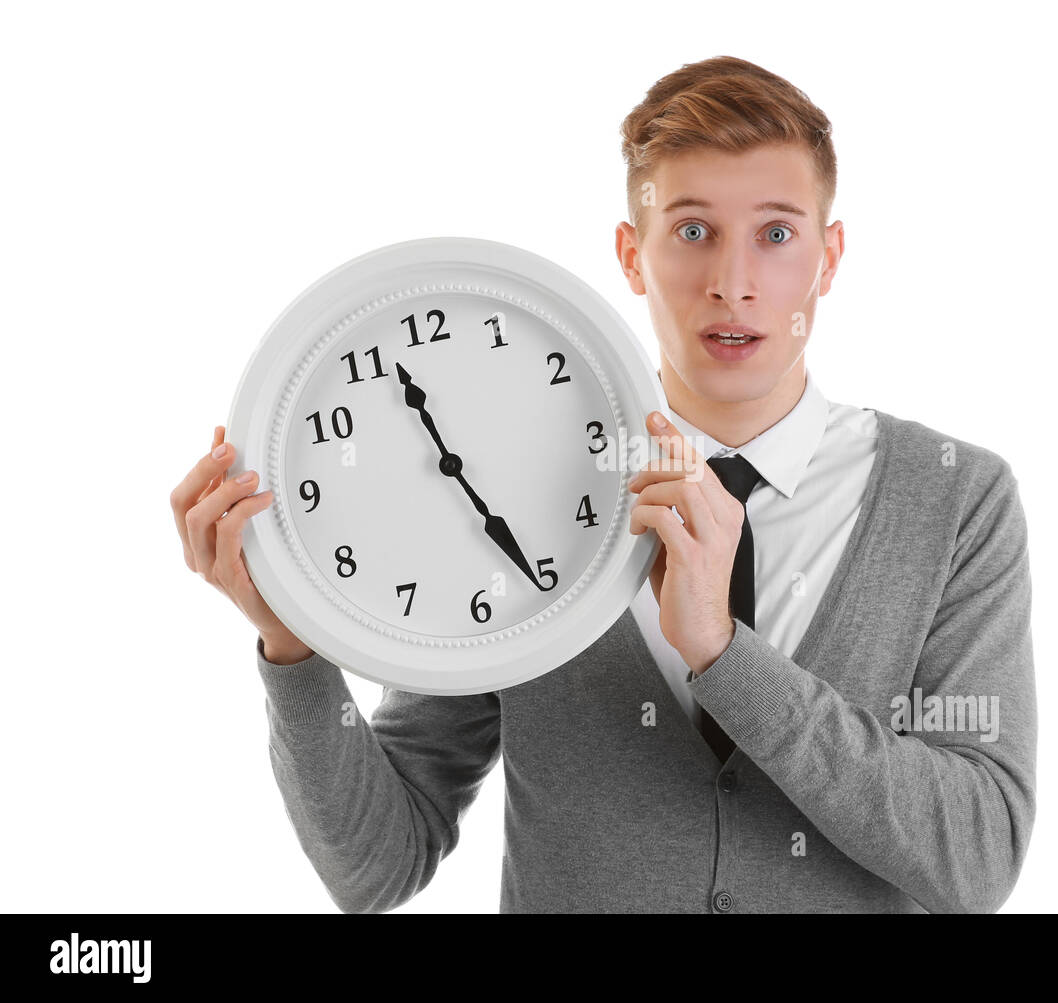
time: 11:25
